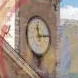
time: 11:13
